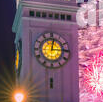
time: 3:02
